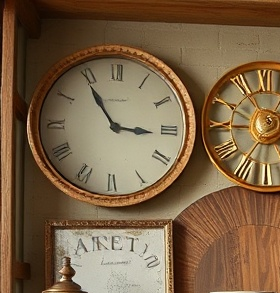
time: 2:54
